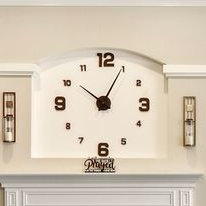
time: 10:04
